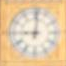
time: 9:01
